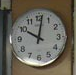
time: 10:01
